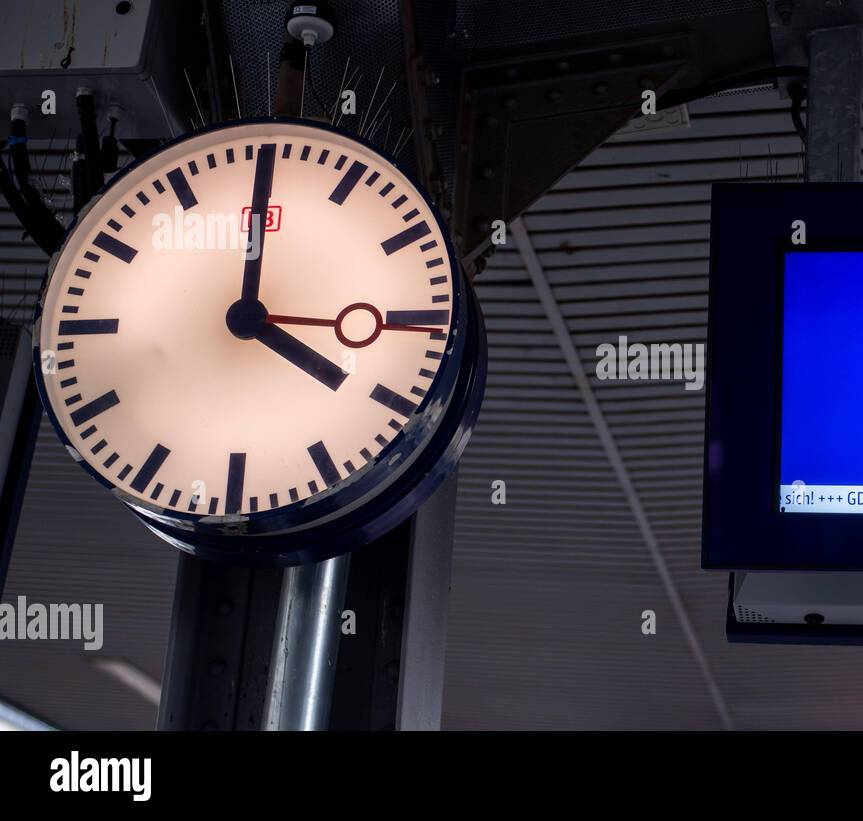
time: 4:00
